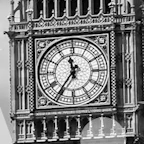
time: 11:35
